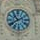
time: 10:40
